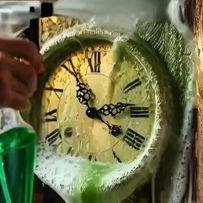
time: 4:13
